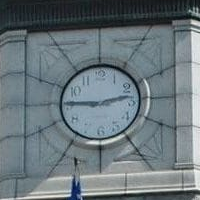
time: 9:12
